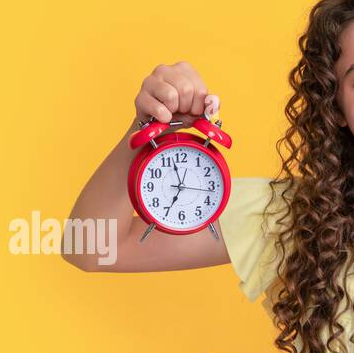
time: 6:57
